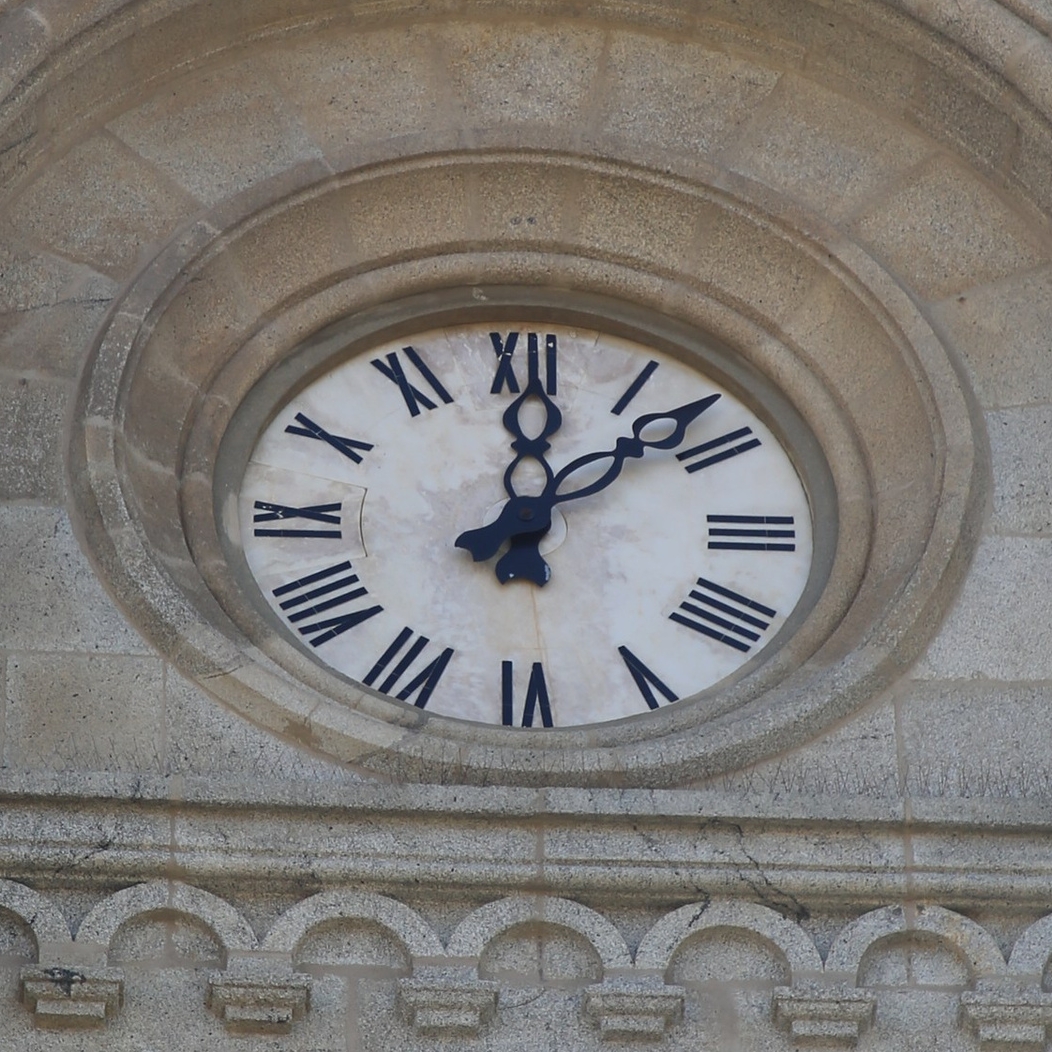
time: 12:07
